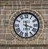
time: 3:29
